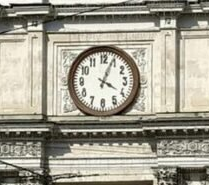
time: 4:03
